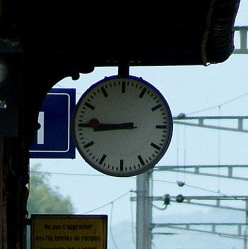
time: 8:45
